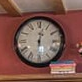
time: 12:28
